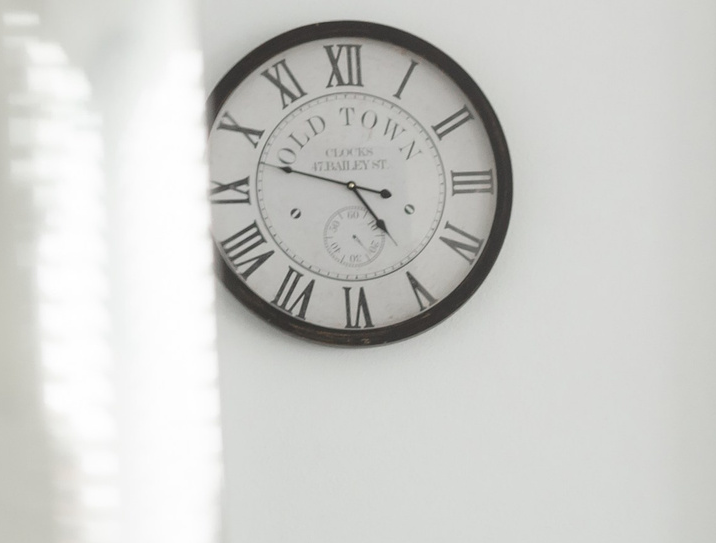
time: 4:47
